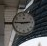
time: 2:45
